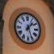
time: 1:26
